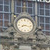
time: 8:16
